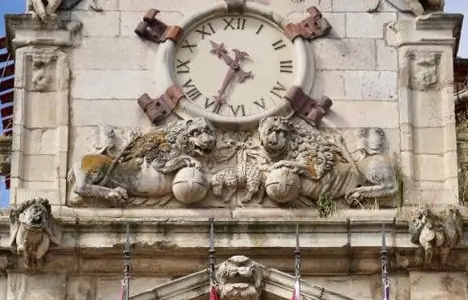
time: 10:34
